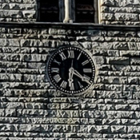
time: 6:20
